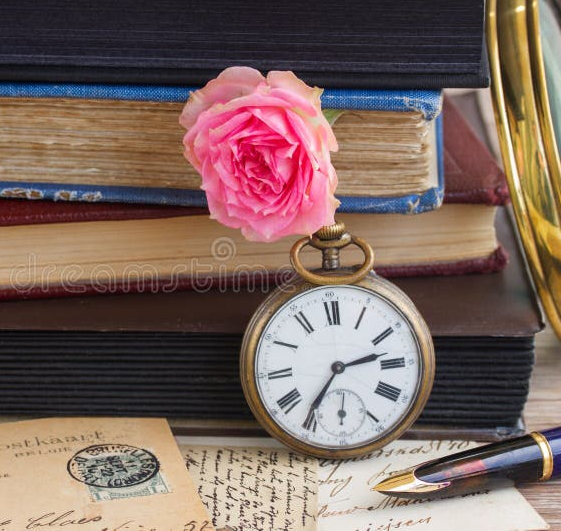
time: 2:35
